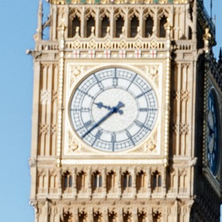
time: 9:38
